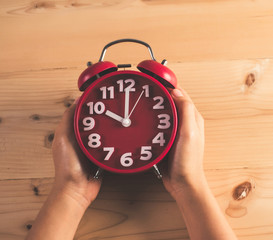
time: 10:00
